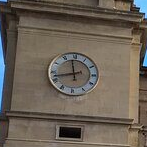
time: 11:42
